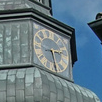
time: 2:28
